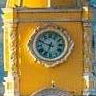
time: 6:48
